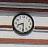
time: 8:30
